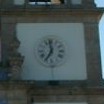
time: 6:58
